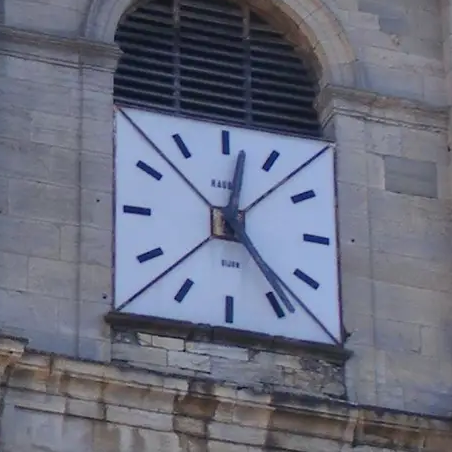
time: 12:23
